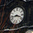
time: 3:43
